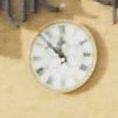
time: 11:52
